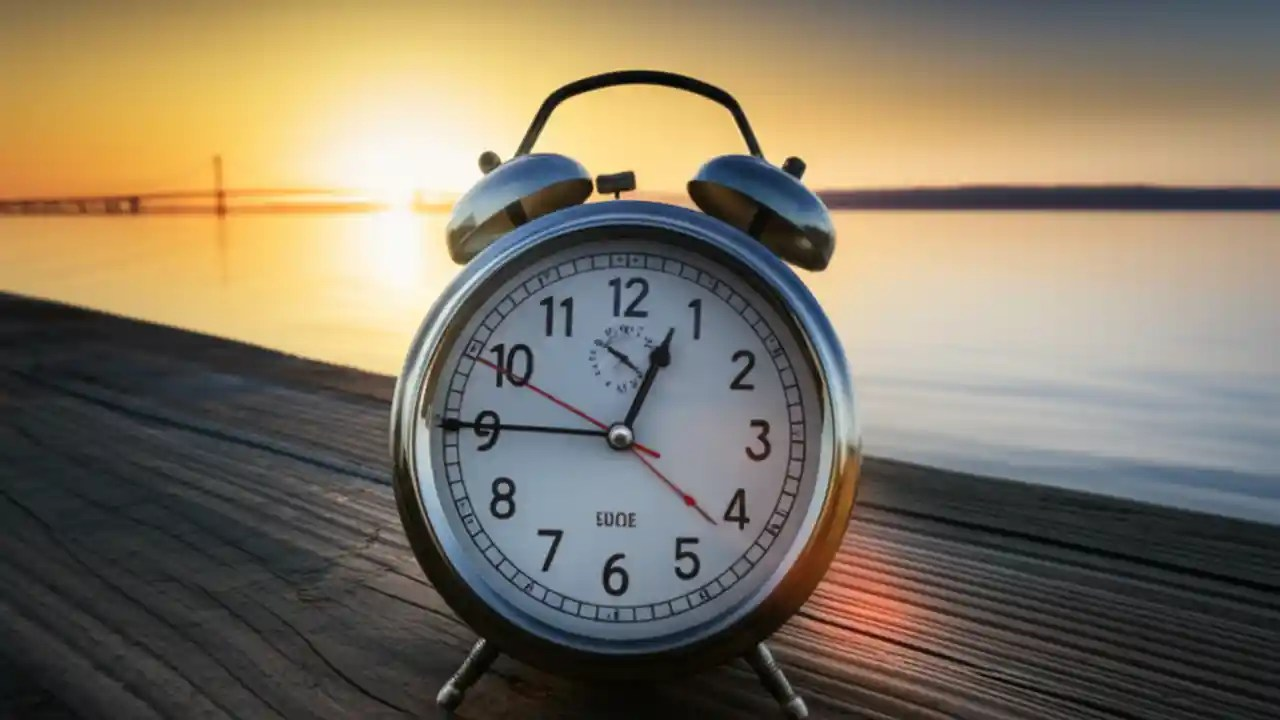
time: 12:45
